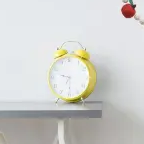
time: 9:29
